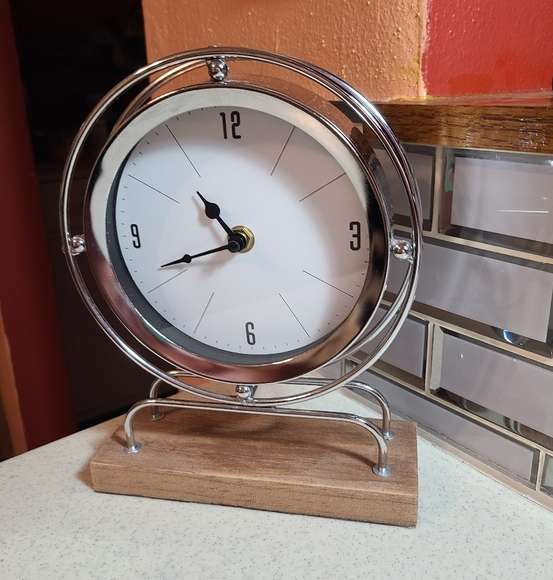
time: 10:41
